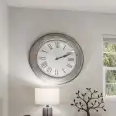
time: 2:11
